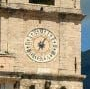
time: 7:04
